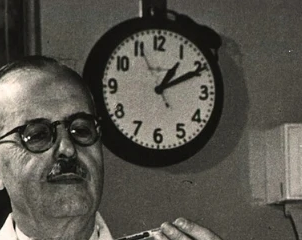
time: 1:10
